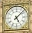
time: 5:07
